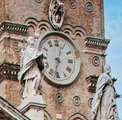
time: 12:32
